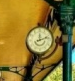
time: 12:11
